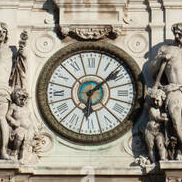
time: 6:08
